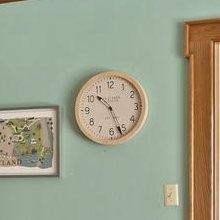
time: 10:26
